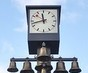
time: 11:42
